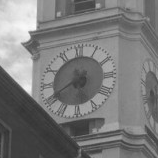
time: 5:40
